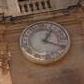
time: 1:18
